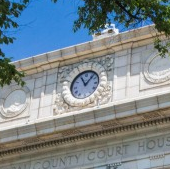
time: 11:07
